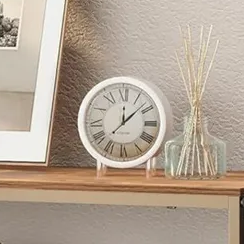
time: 12:07
